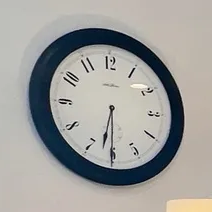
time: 6:30
